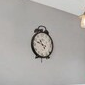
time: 10:48
